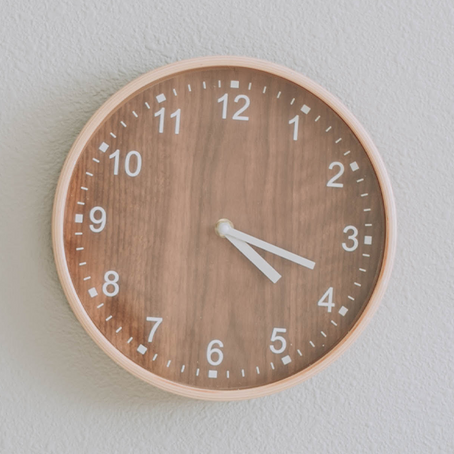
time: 4:18
